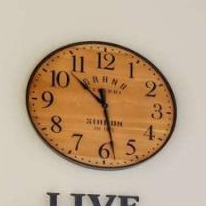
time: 10:28
